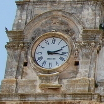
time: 2:16
